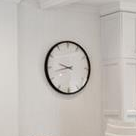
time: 9:42
